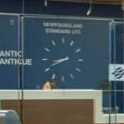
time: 8:40
